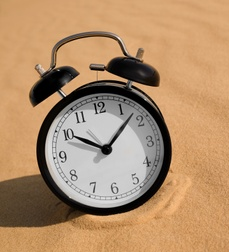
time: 10:07
